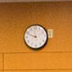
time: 11:48
